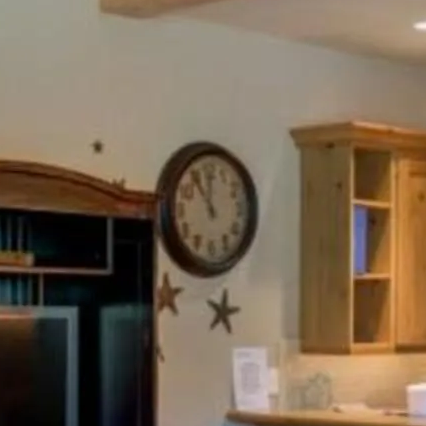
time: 11:53
